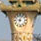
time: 9:04
